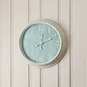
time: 12:11
